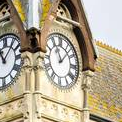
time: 11:07
